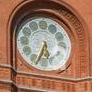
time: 5:33
